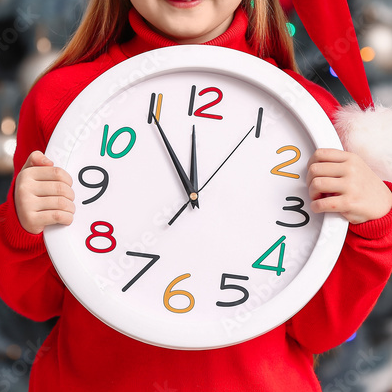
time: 11:54
